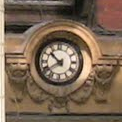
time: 10:39
